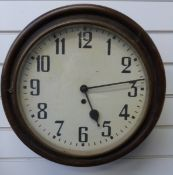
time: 5:13
